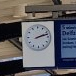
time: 2:12
